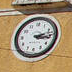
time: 3:12
